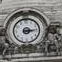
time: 3:14
